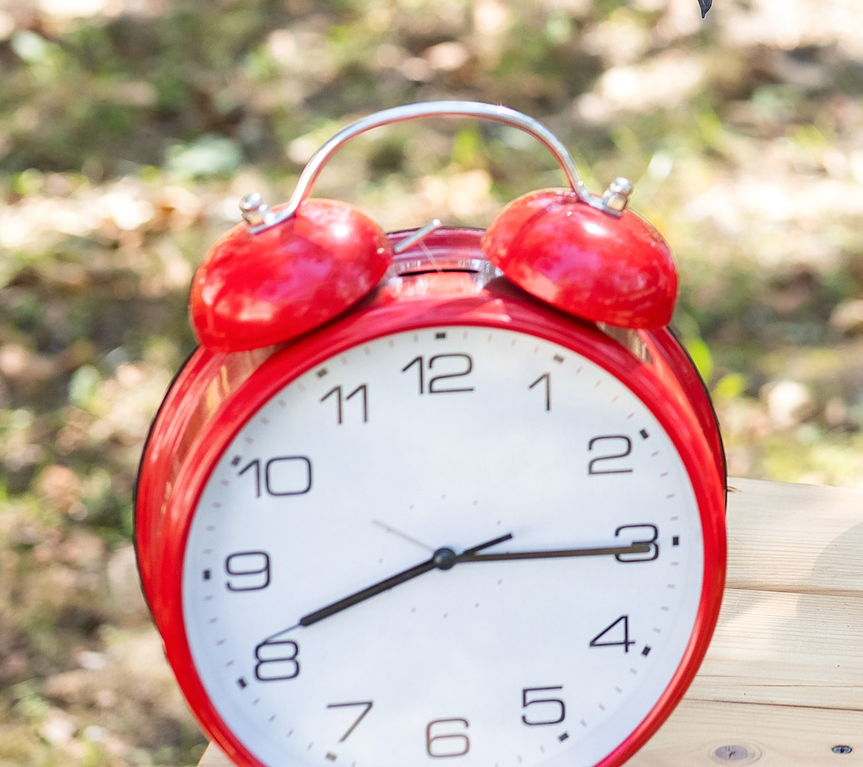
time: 8:15
